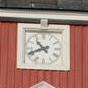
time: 10:41
